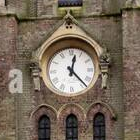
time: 12:23
